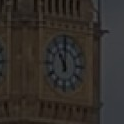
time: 11:00
